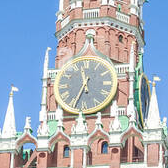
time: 11:33
